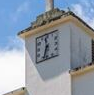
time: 11:33
